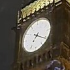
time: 7:20
